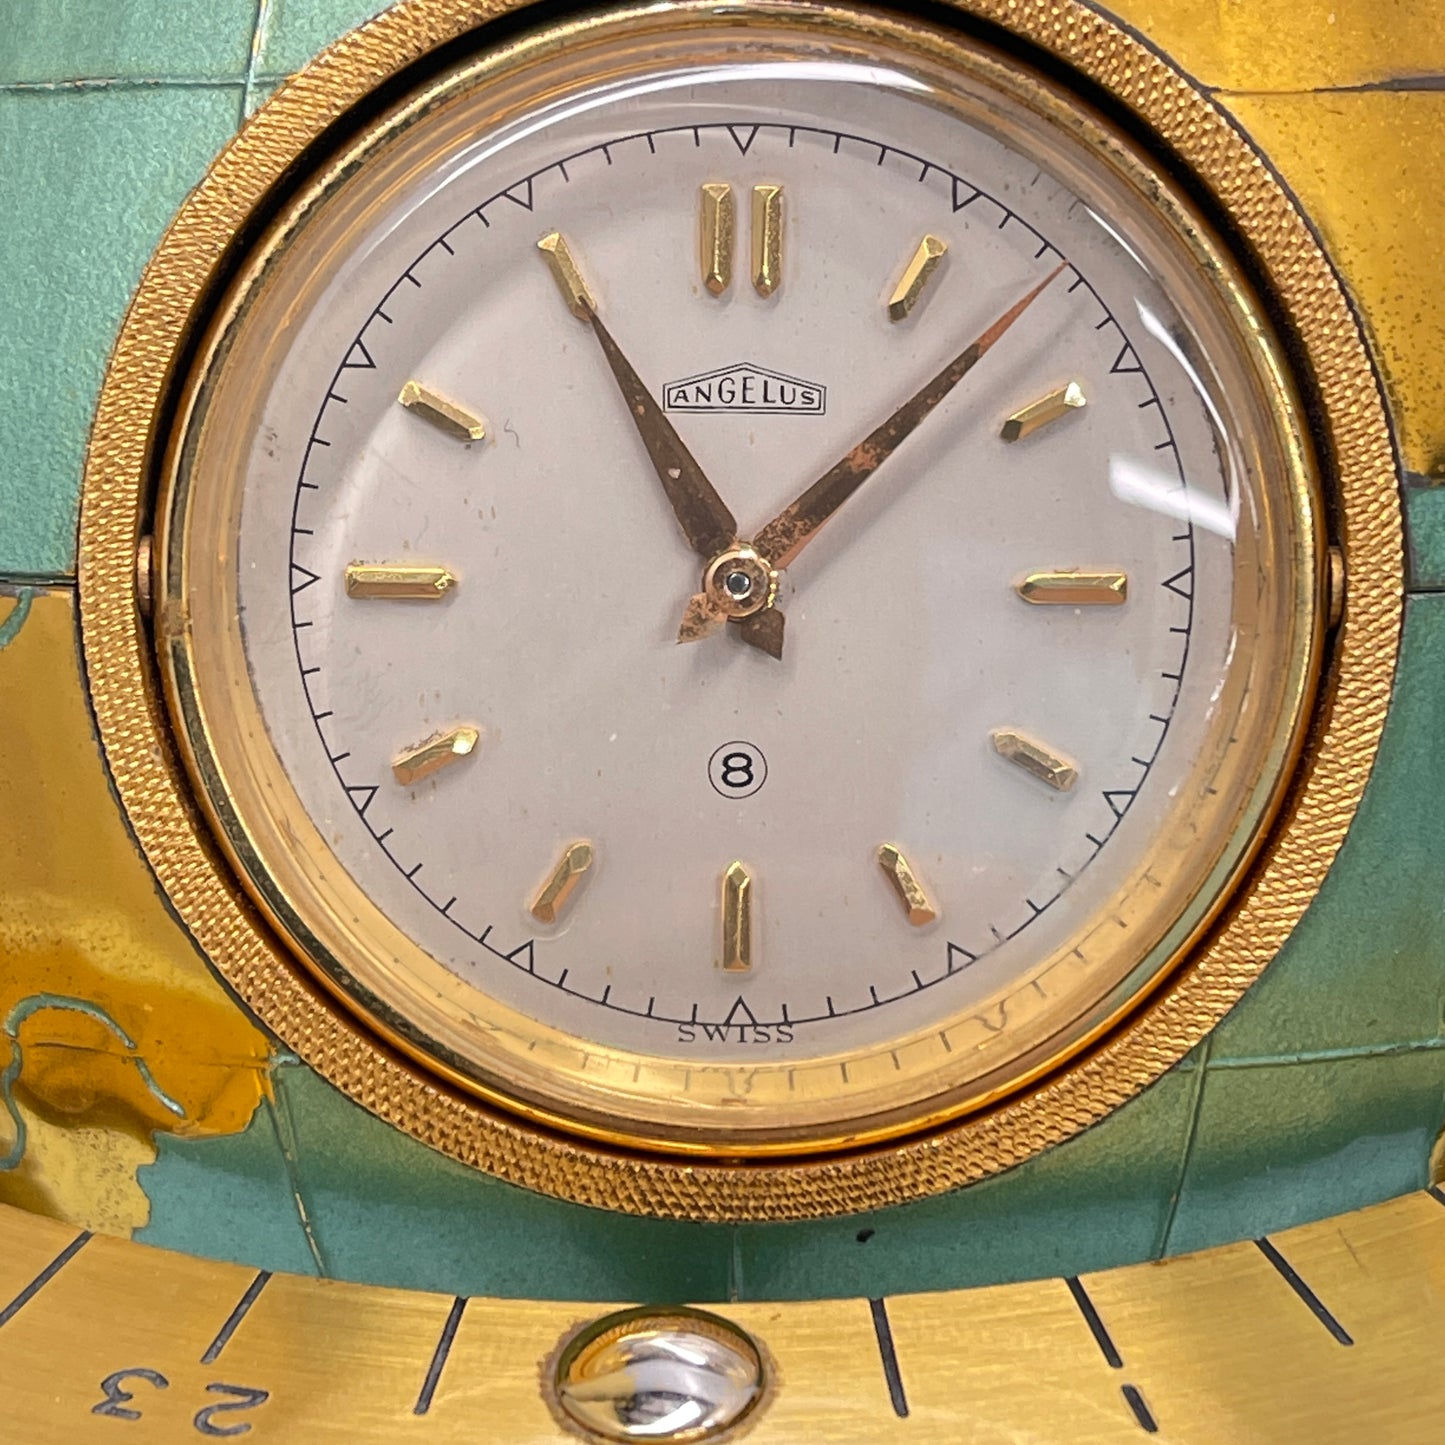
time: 11:07
